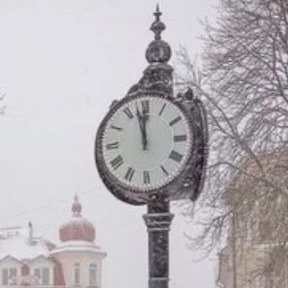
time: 11:57
